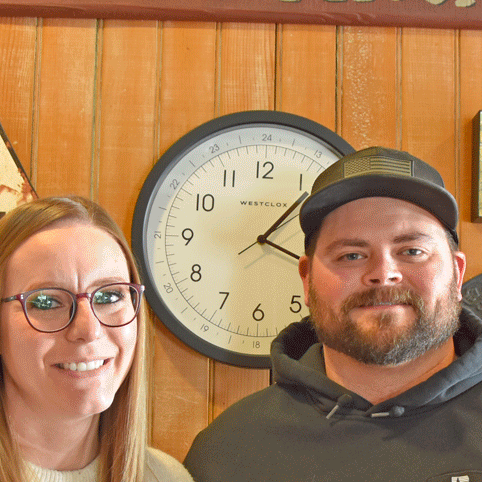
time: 1:18
